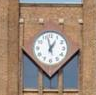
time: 12:57
